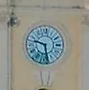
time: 9:28
